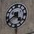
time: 4:40
